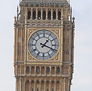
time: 1:18
